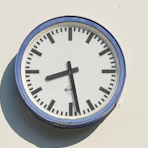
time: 8:28
